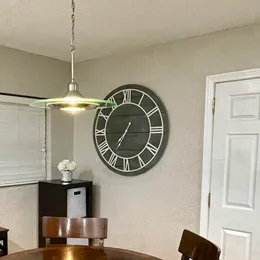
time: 7:15
